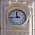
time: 11:44
